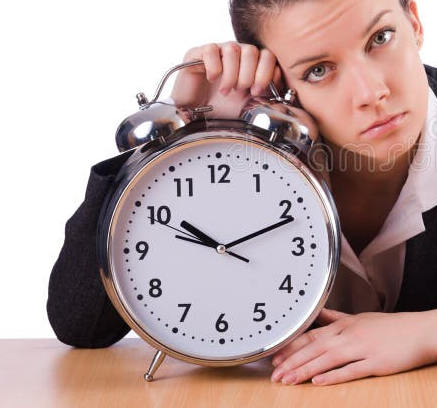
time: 10:11
